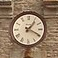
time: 1:19
